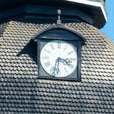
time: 3:32
